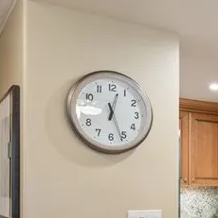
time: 12:26
